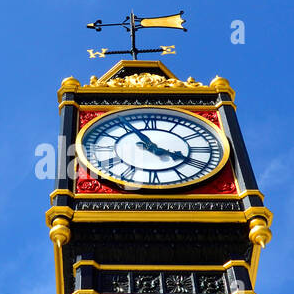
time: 3:55
